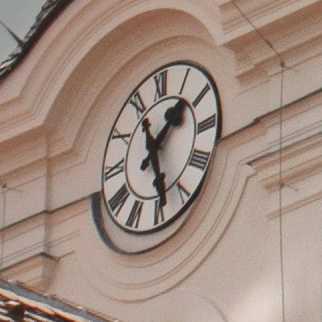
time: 1:24
